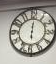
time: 6:00
